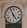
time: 4:55
